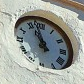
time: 10:57
